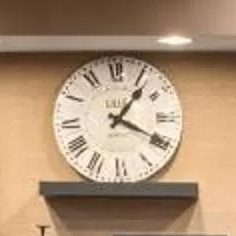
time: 1:19
